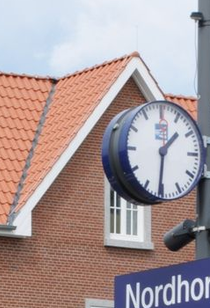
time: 1:30
